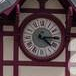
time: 4:14
